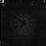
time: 6:50
